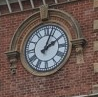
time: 2:03
